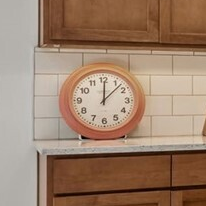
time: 12:07
